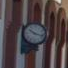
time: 10:17
